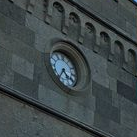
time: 4:35
